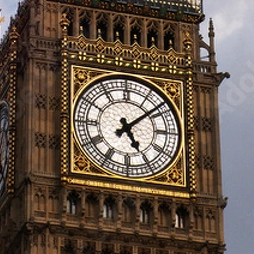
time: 5:08
